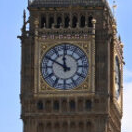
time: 11:49
